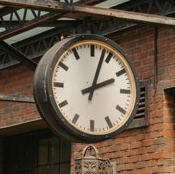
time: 2:03
